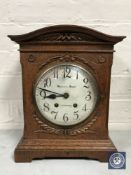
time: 8:47
